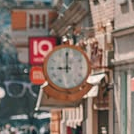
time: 8:59
